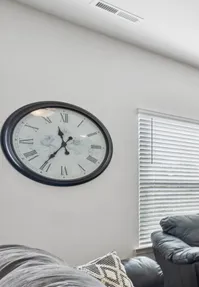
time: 11:35
